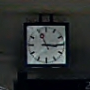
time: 11:15
